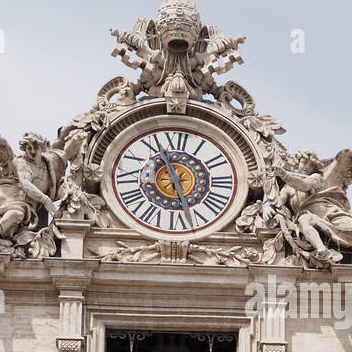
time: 11:27
